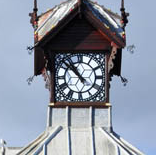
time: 10:52
